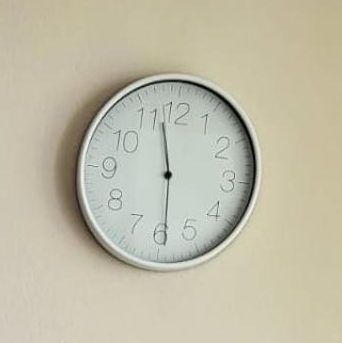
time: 11:29
